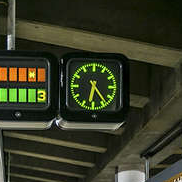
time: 6:23
